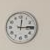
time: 12:14
